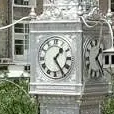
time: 1:24
